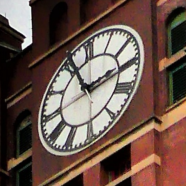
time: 2:56
